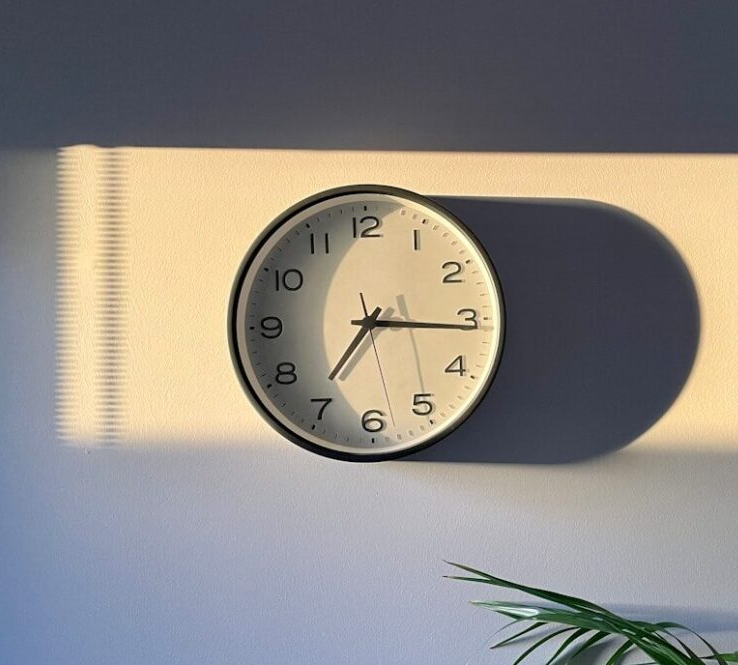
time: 7:15
